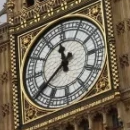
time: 11:39
